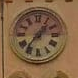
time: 1:36
